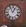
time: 12:55
